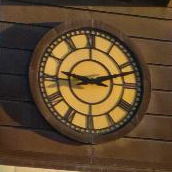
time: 9:12
